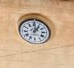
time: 1:00
